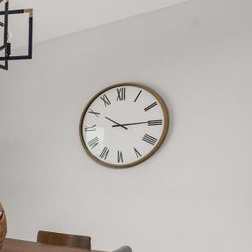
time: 10:14
